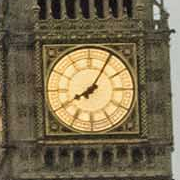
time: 8:05
